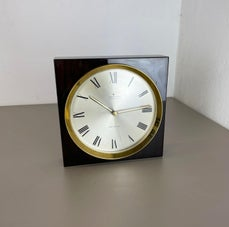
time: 10:13
